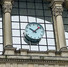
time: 10:07
